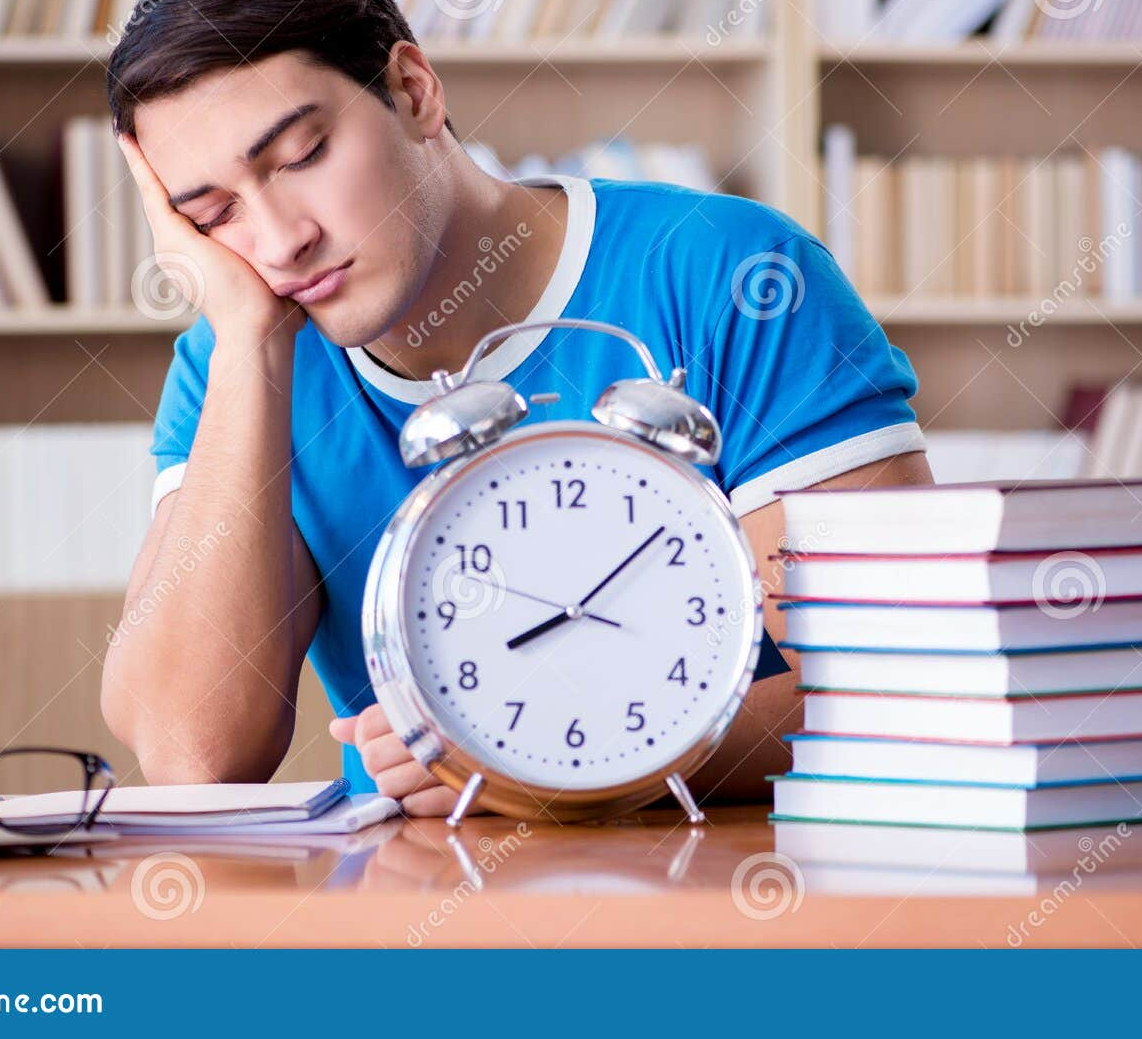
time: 8:08
